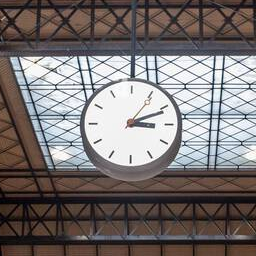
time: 3:11
